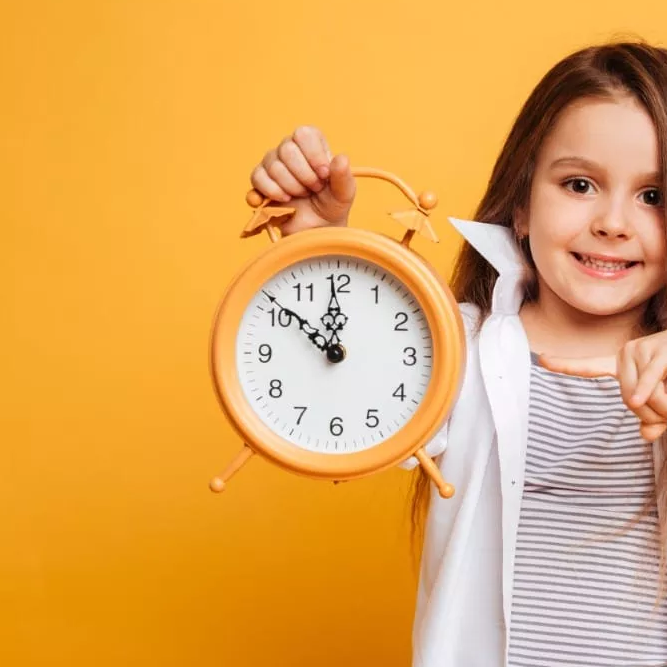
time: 11:51
